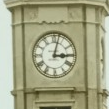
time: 3:02
